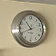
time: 10:41
